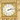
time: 2:13
